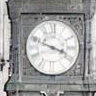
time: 3:48
